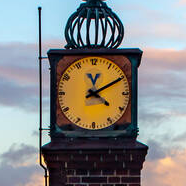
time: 4:10
